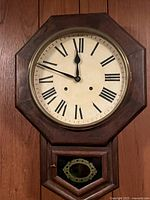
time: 11:48
